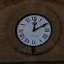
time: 12:10
